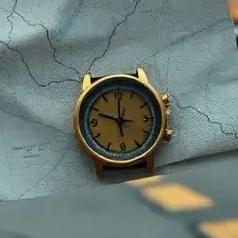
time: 5:48
